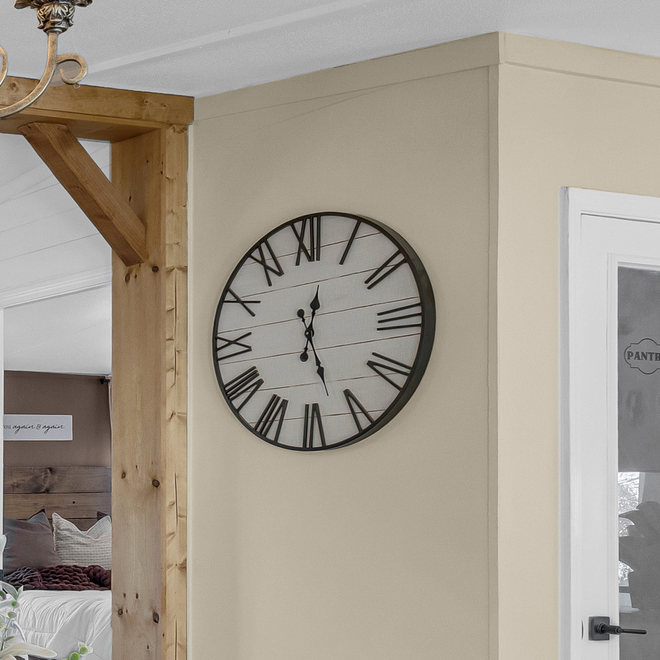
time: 12:26
